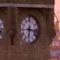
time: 6:17
